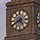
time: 4:40
